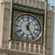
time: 12:24
